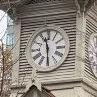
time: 11:29
